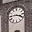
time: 3:45
